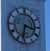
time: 3:32
